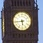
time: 5:43
